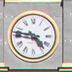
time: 4:46
